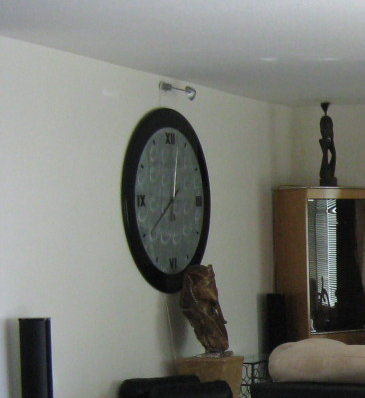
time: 8:02
